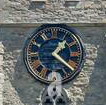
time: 1:21
